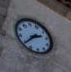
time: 2:39
